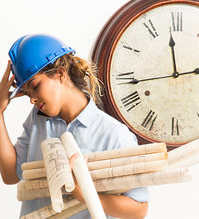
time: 11:43
